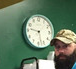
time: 9:27
